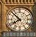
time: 7:52
